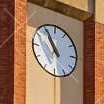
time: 10:55
